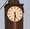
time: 5:30
